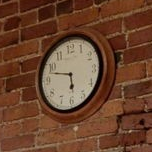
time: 5:47
